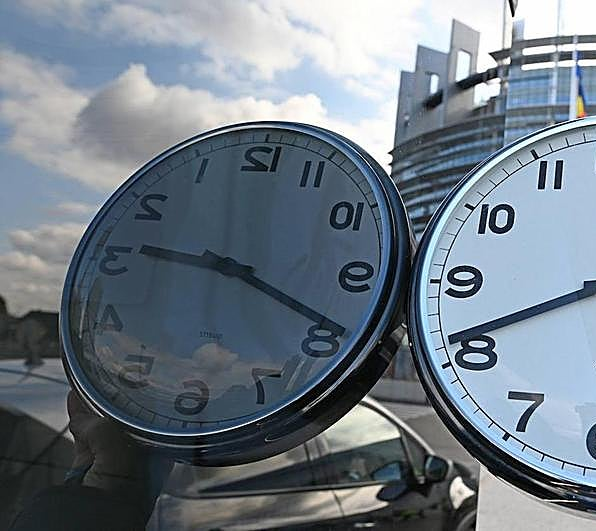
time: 9:19
